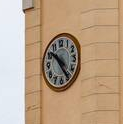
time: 10:24
